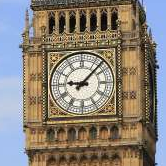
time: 9:07
